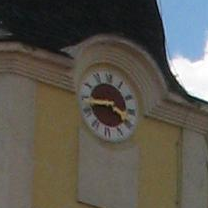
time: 3:43
